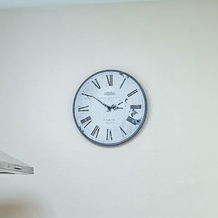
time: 2:50
